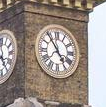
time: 4:54
